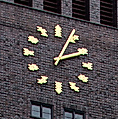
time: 2:04
